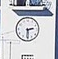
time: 2:29
